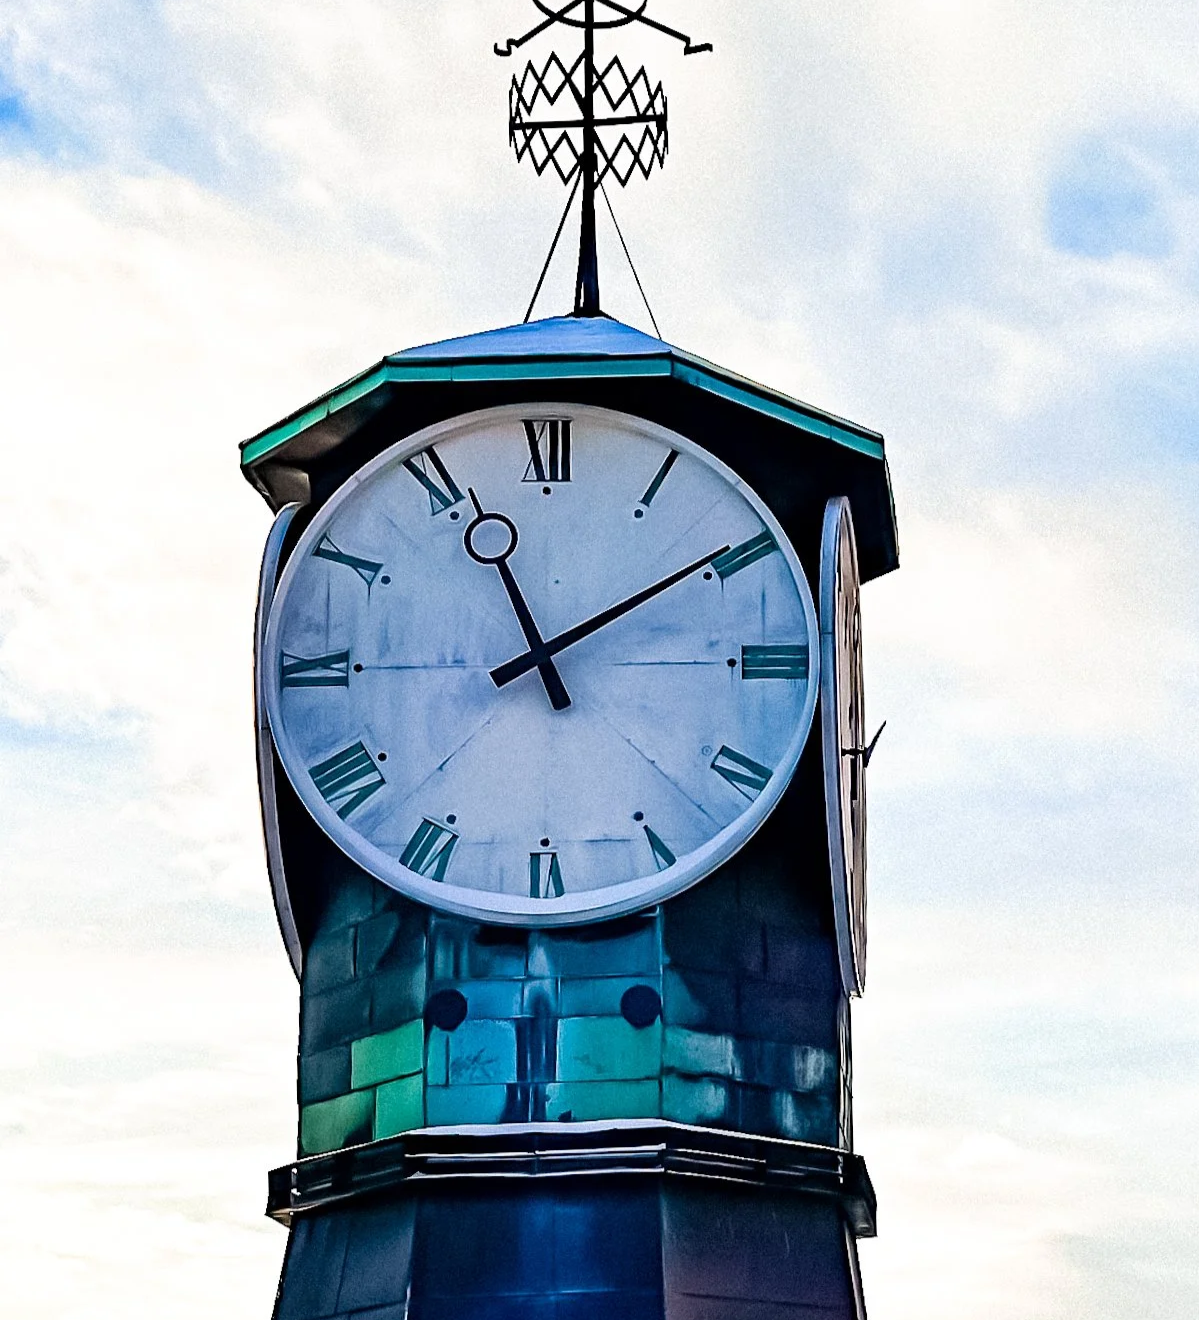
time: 11:09
